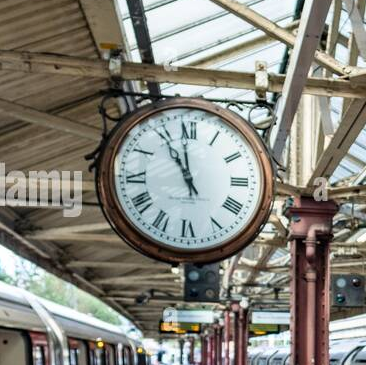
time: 10:58
